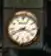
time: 8:17
